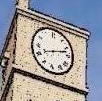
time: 8:12
